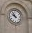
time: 9:54
